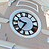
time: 9:34
